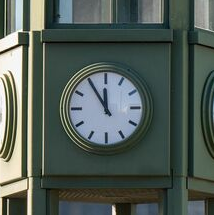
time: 11:54
